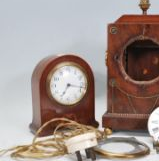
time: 7:17
